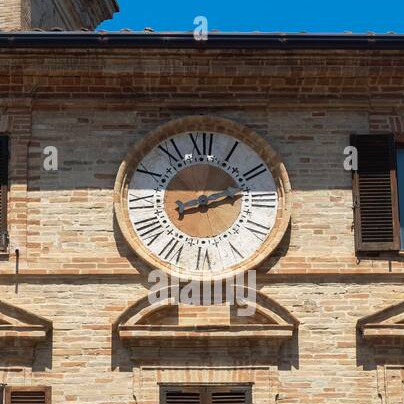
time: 8:12
